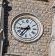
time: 8:36
